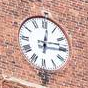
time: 12:14
